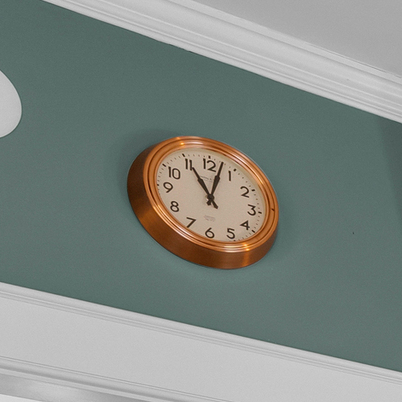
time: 11:02
